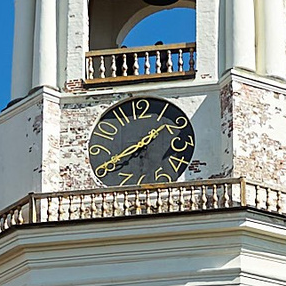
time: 1:40
